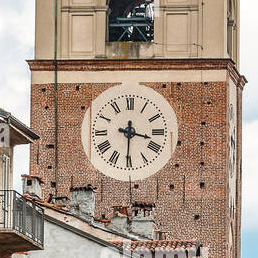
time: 3:30
